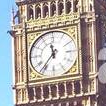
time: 11:36
